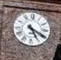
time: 5:19
